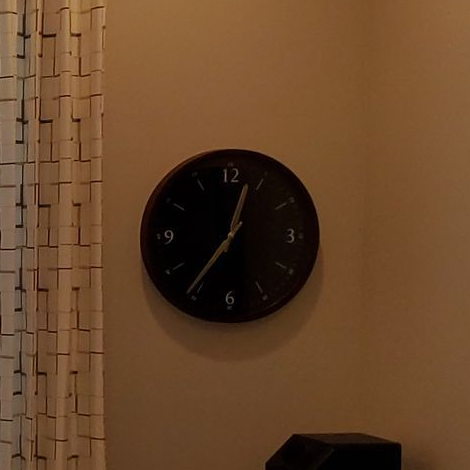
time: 12:36
